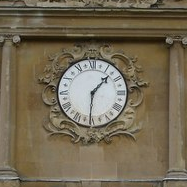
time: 1:30
